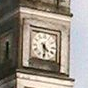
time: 4:29
